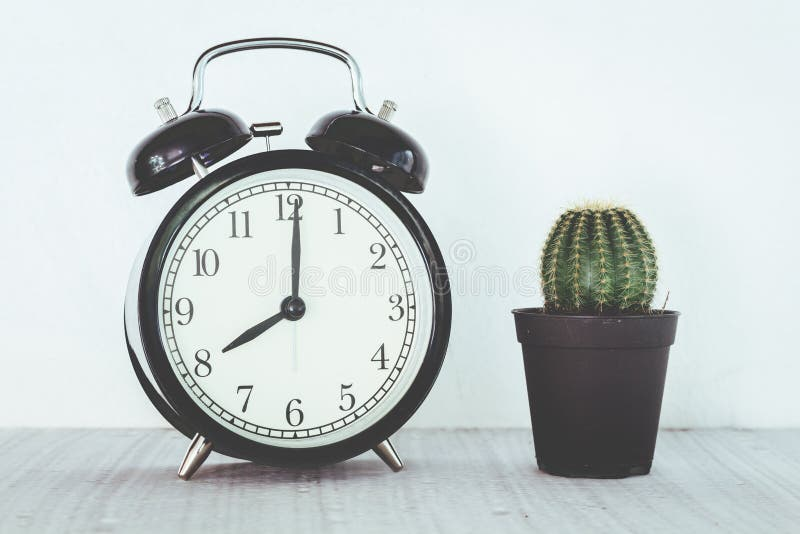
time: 8:01
